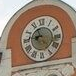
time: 8:56
